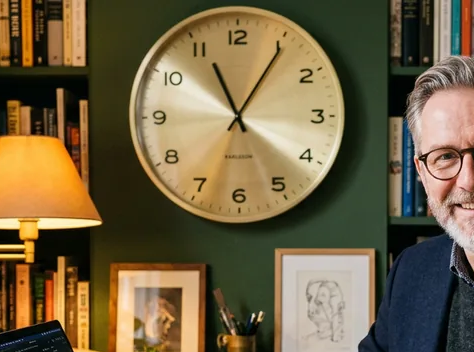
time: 11:05
